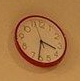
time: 3:31
